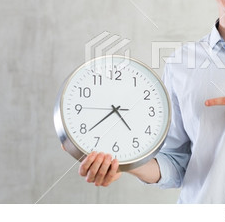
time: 4:38
